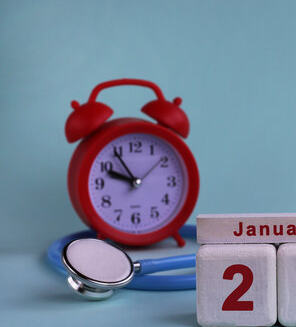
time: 9:54
